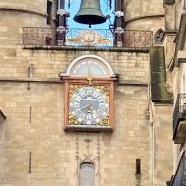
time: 8:12
